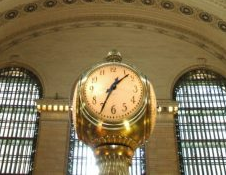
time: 1:34
